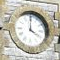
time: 4:00
